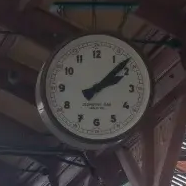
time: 2:07
